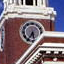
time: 5:35
